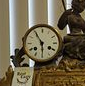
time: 5:54
